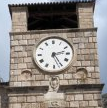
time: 2:25
